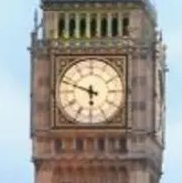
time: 5:48
